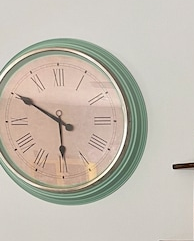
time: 5:50
